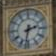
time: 2:32
